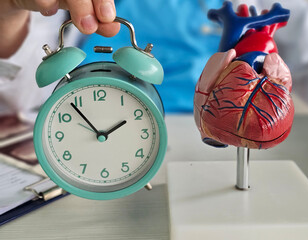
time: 1:53
